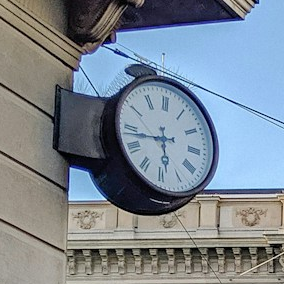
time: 5:43
